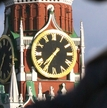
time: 7:35
